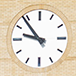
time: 9:53
